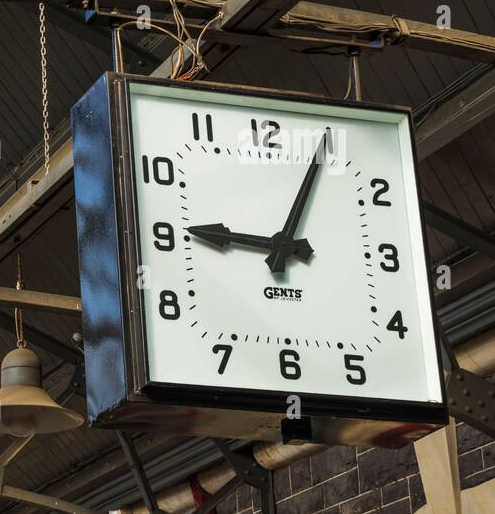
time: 9:05
